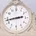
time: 2:42
